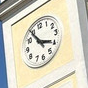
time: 3:54
